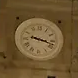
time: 3:17
